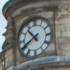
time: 10:40
